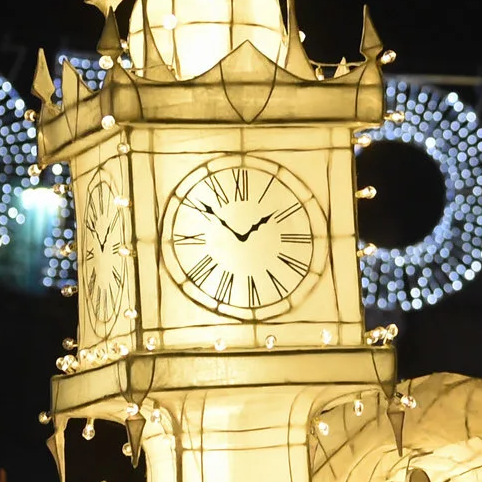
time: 1:51
